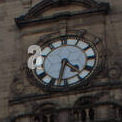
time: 4:32
